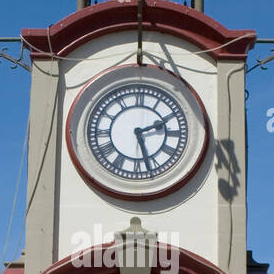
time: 2:27
